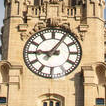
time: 9:05
